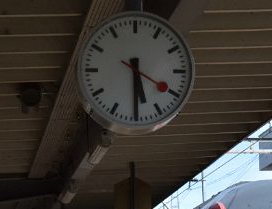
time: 5:30
